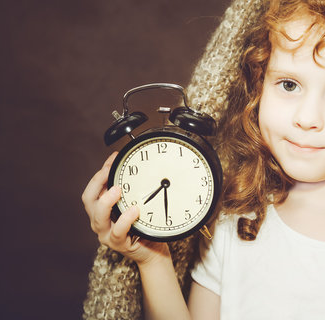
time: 7:30
